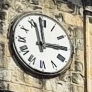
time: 2:58
